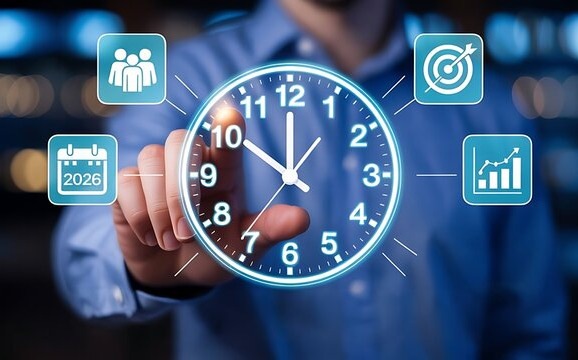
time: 11:50
